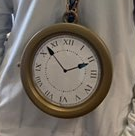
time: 1:52
